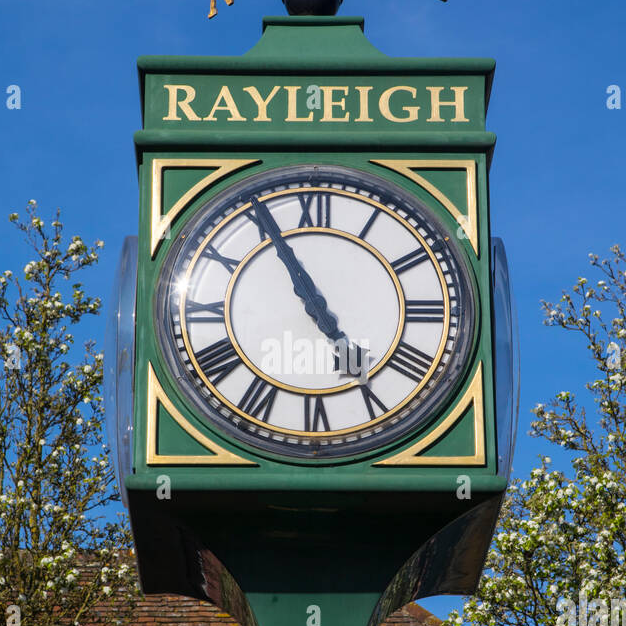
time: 4:55
